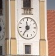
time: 11:35
